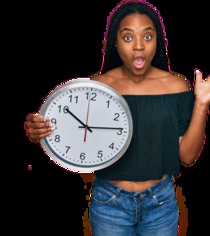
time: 10:13
